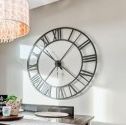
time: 10:07
